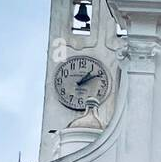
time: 1:10
